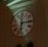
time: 6:14
